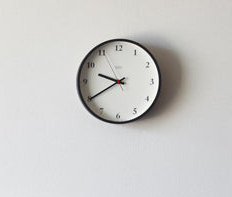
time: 9:39
